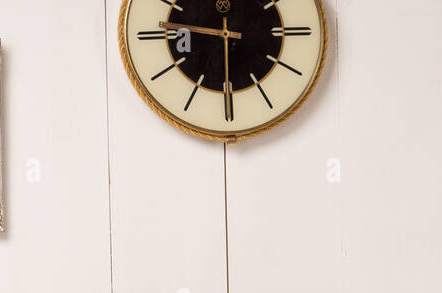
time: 9:30
